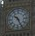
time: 10:25
